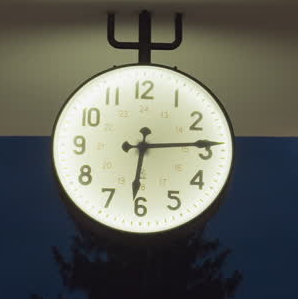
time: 6:14
